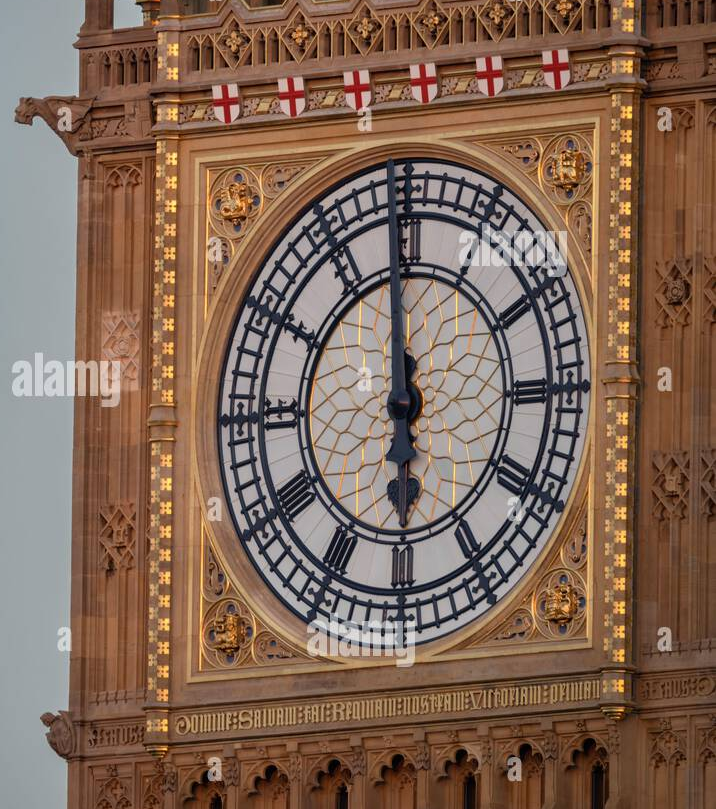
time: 5:58
